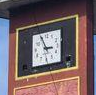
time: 2:56
